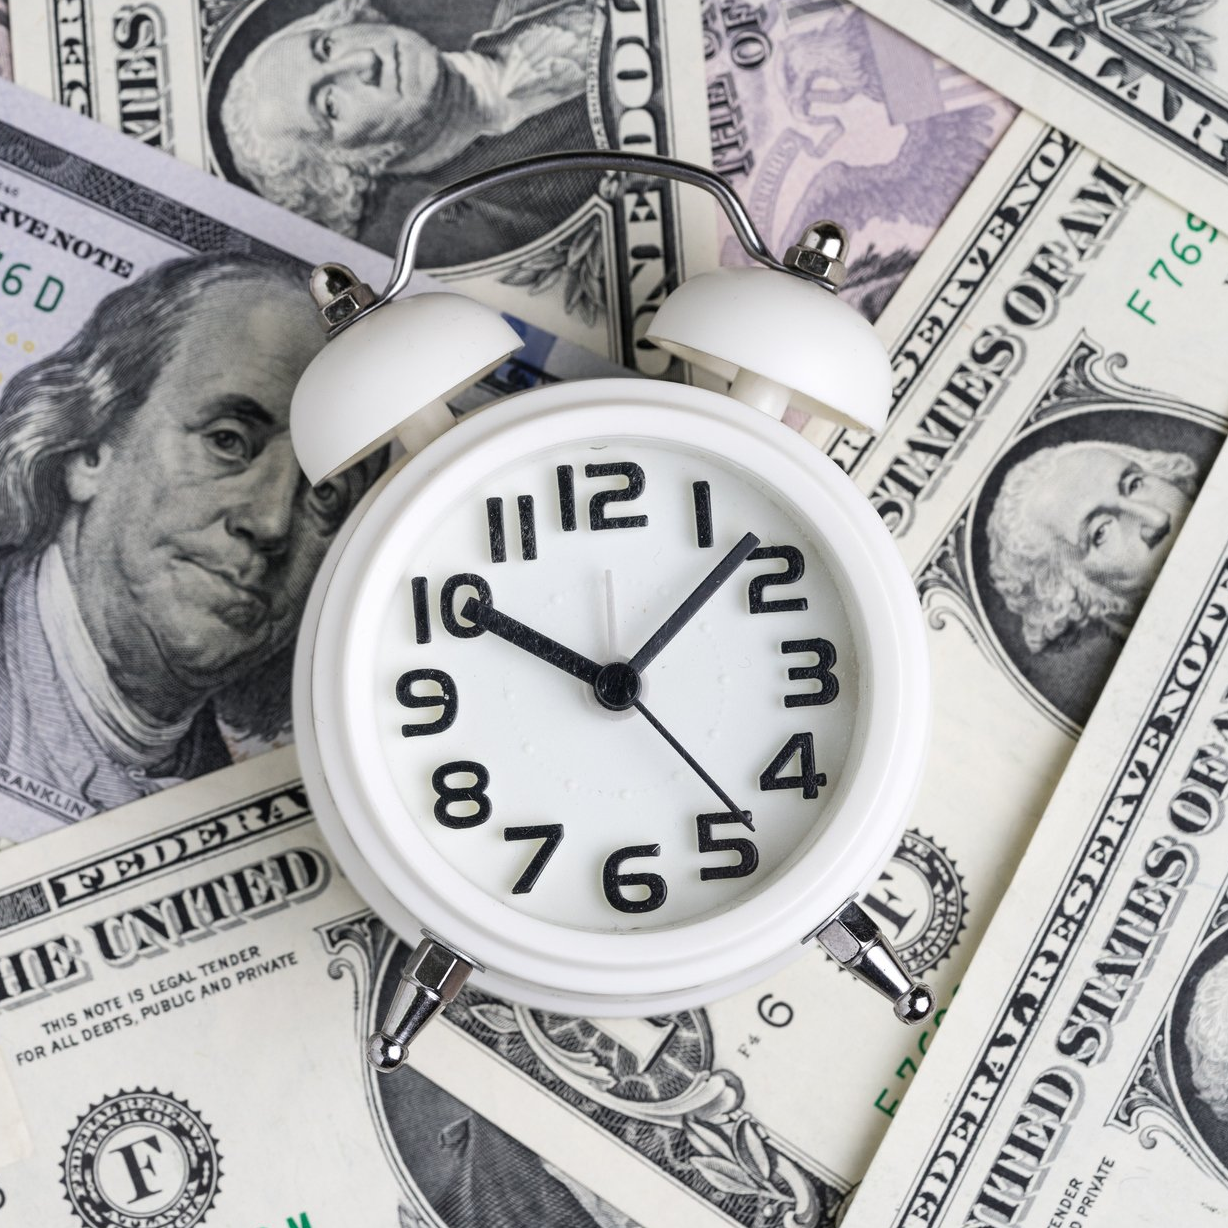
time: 10:07
